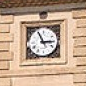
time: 2:56
